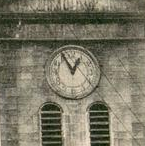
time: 12:55
